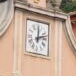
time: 12:12
